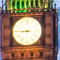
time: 8:45
